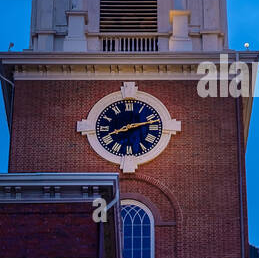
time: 8:12
